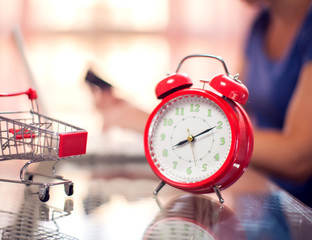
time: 8:10
